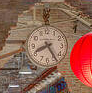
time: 8:24
